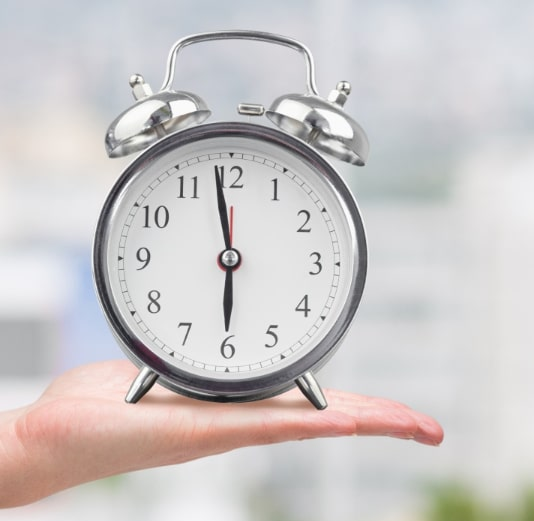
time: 5:58
